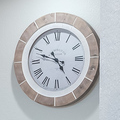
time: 4:48
